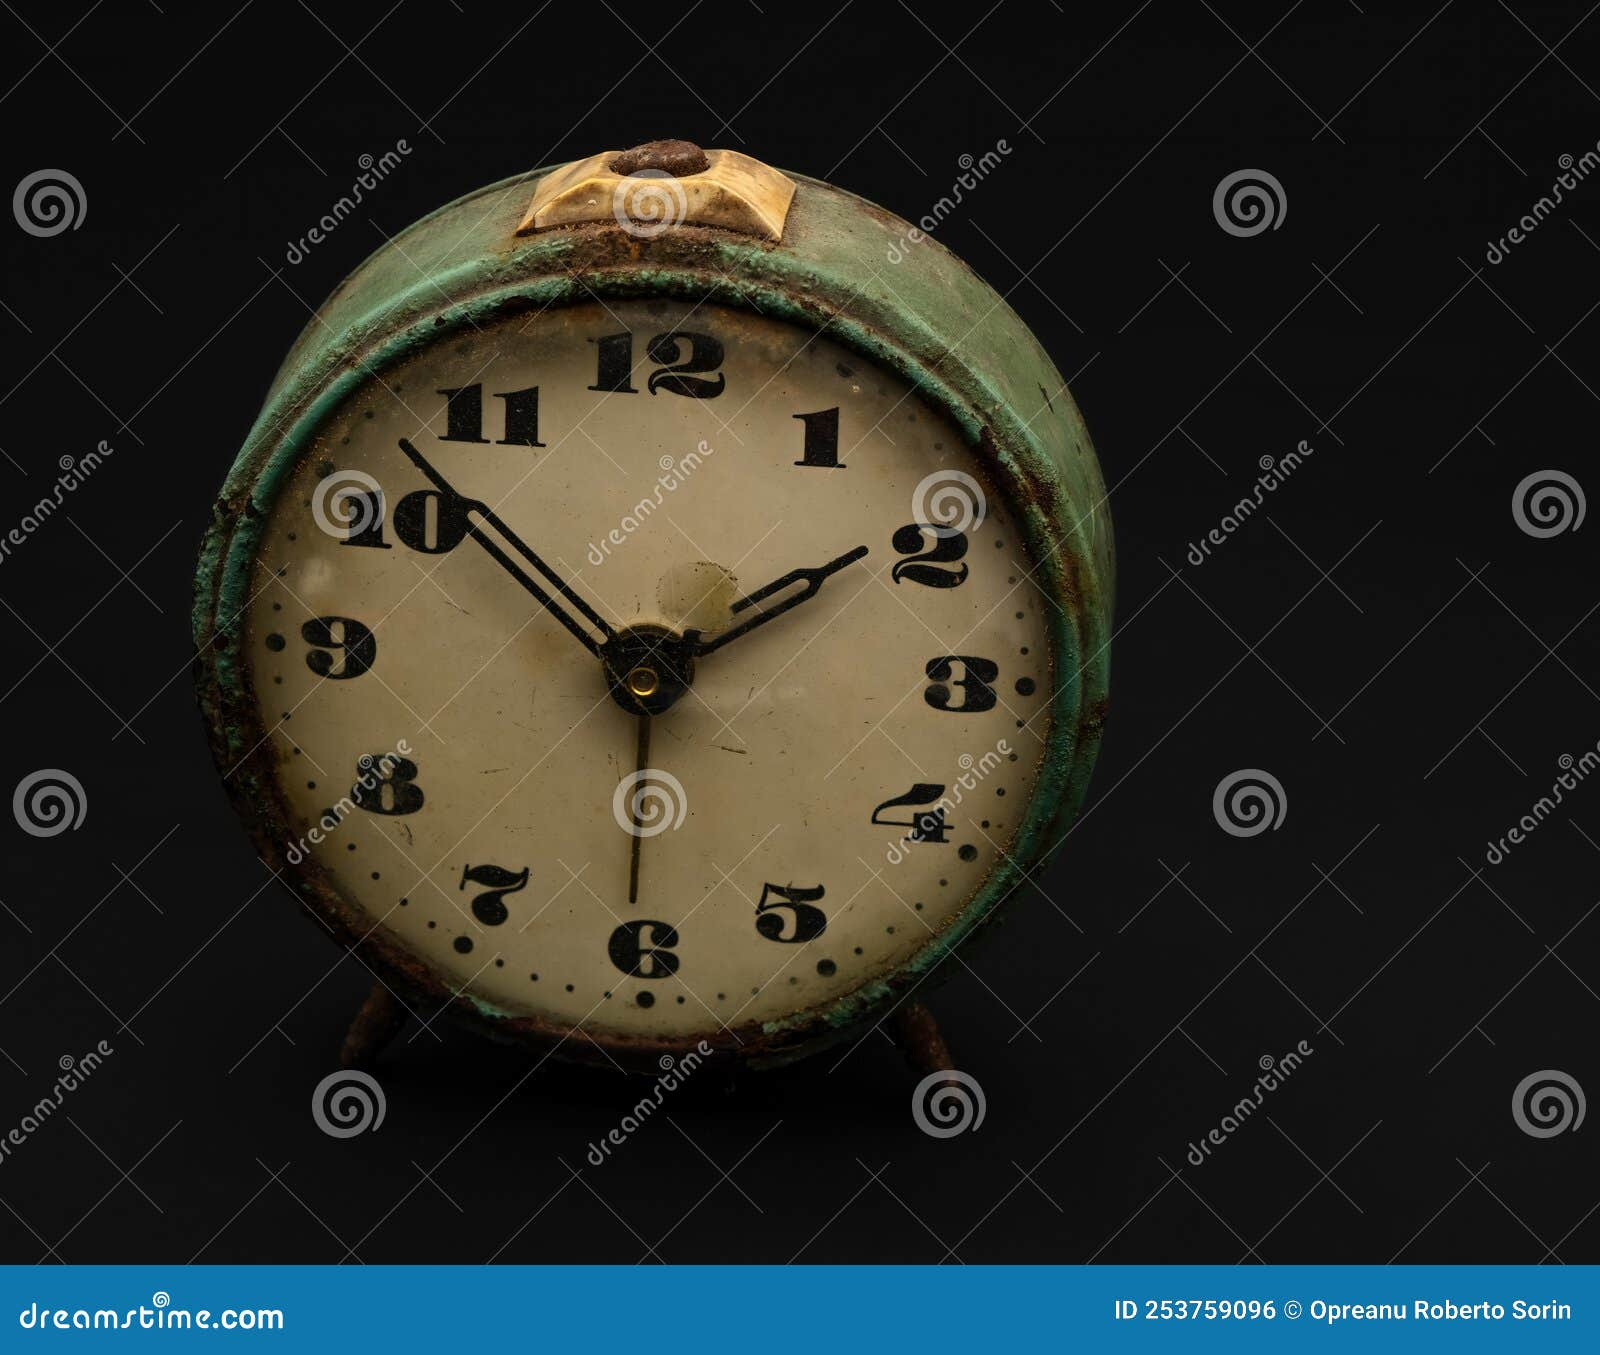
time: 1:52
